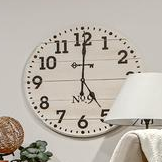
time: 5:00
